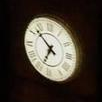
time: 6:52
